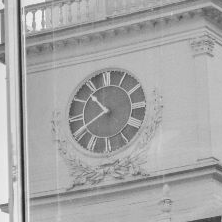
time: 10:40
